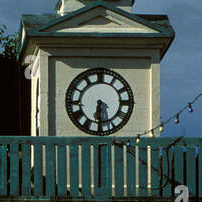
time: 6:29
